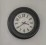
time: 3:39
